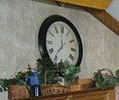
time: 11:36
